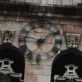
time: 1:46
